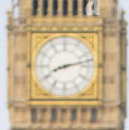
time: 8:12
